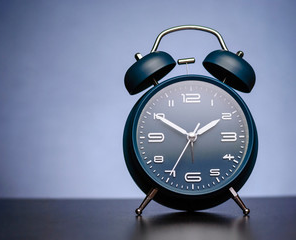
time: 1:50
